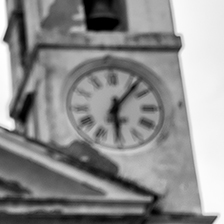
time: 6:06
